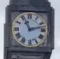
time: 11:12
